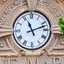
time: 11:12
